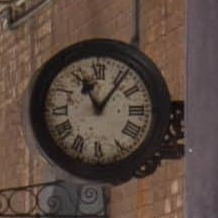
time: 11:06
